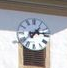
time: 1:13
